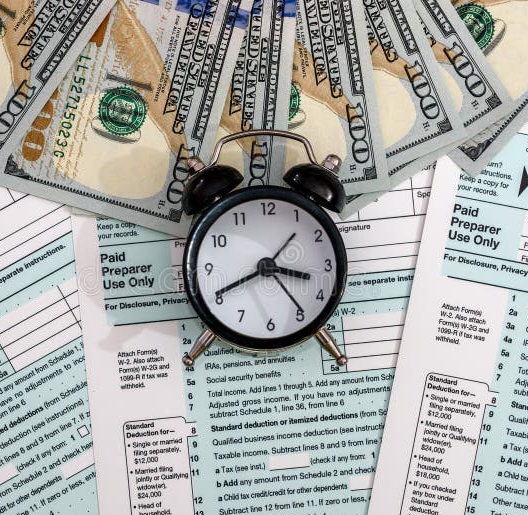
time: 3:40
